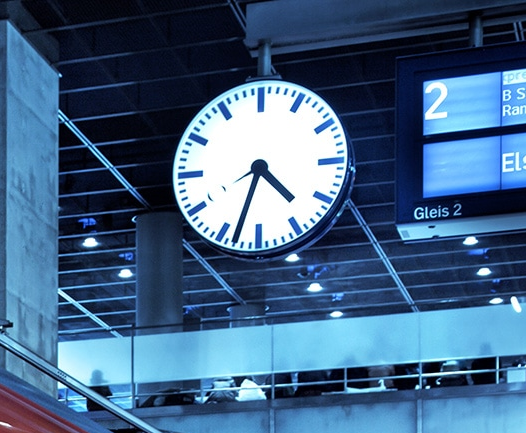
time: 4:33
